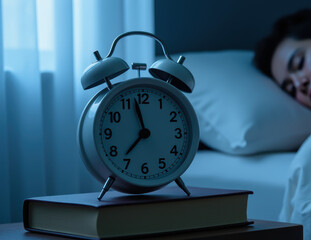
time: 11:36
